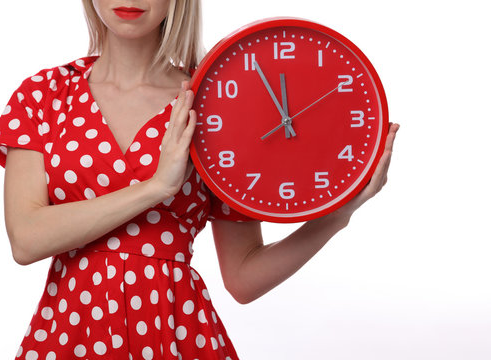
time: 11:55
